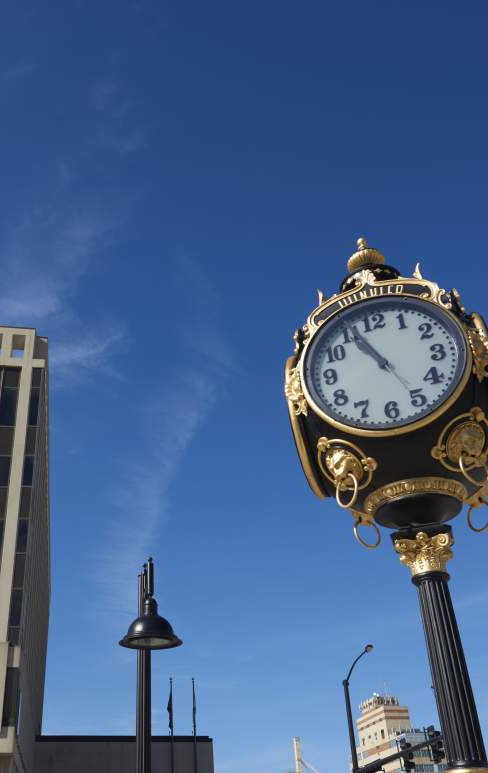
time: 10:55
